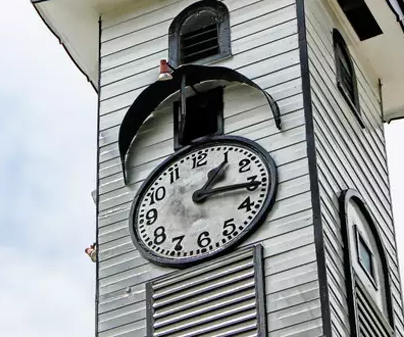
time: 1:16
